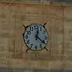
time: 12:21
